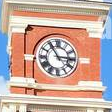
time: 2:54
